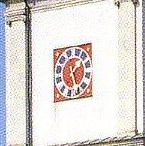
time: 1:26
